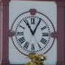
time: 11:04
